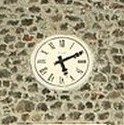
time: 5:10
